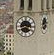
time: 3:40
